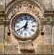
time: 12:40
